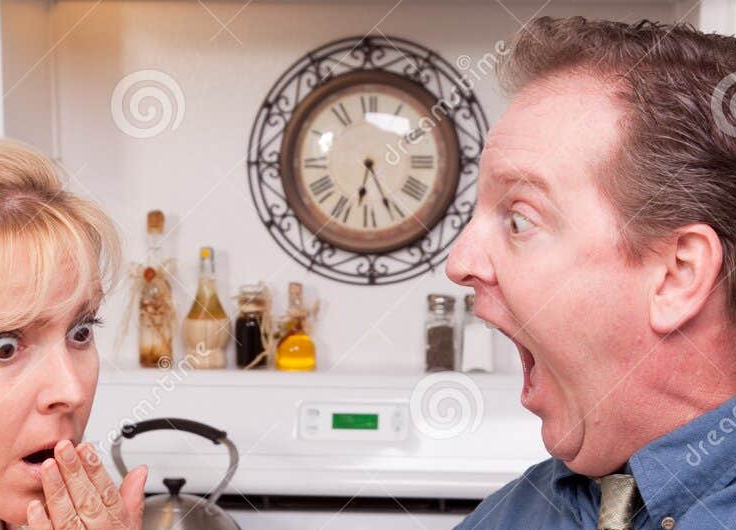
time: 6:25
